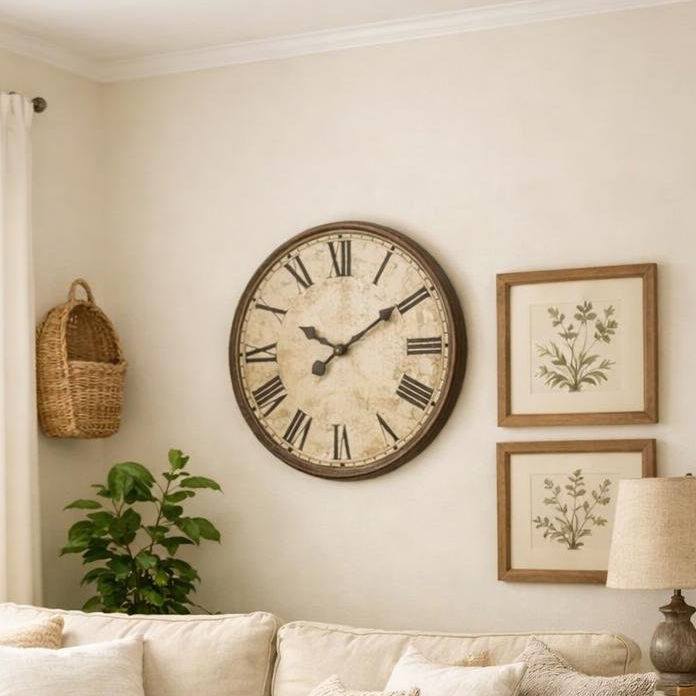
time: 10:09
